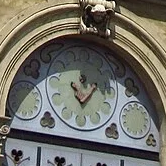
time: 11:07
